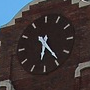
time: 6:24
